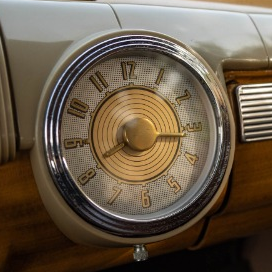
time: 8:16
